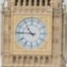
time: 10:45
